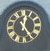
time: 12:23
